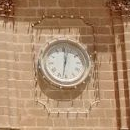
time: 12:32
